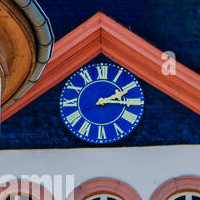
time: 2:15
